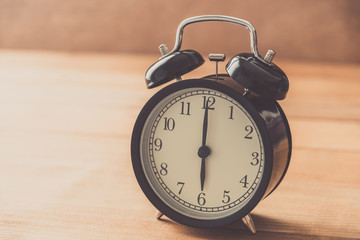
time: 6:00
